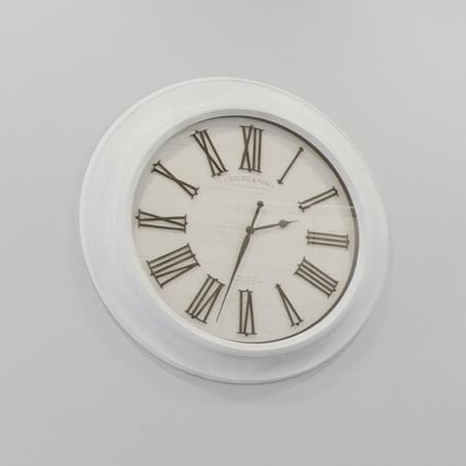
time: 2:33
